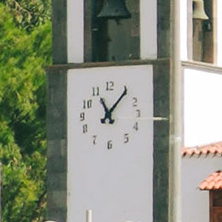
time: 11:06
